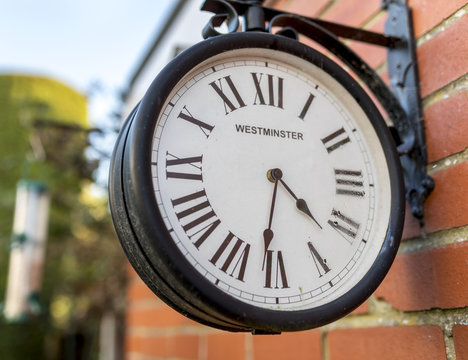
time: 4:31
